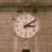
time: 3:09
